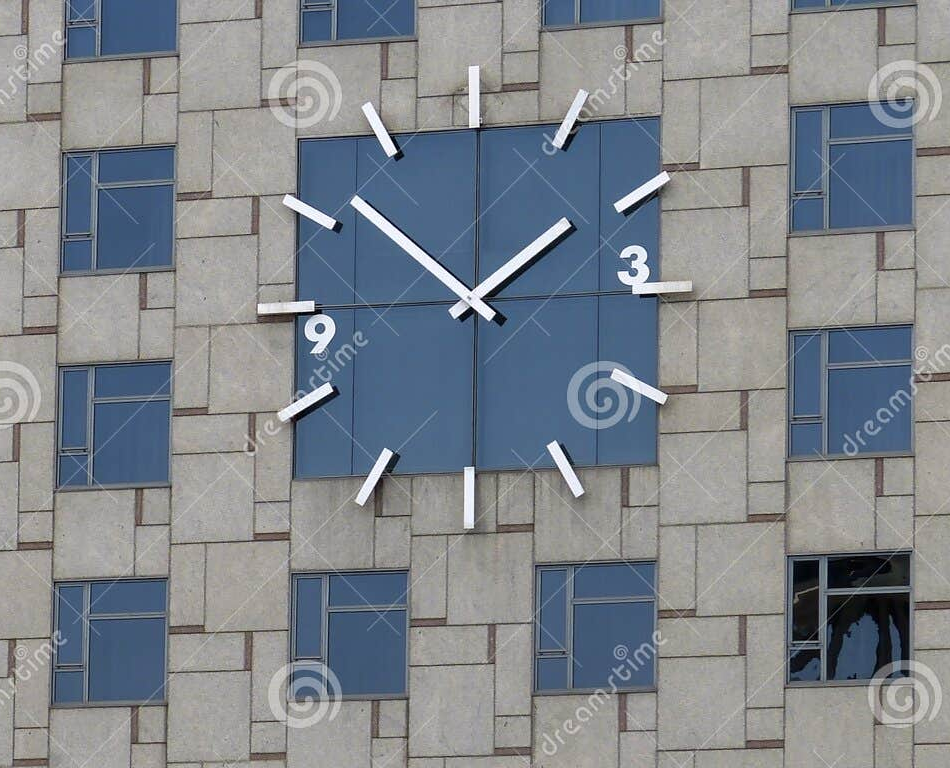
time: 1:51
